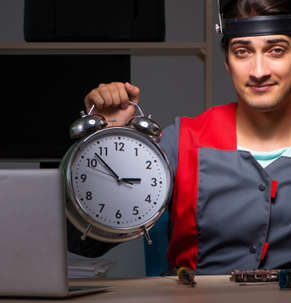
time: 2:53
